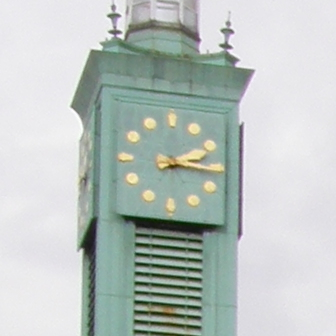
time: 2:15
